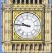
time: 9:45
